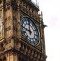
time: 11:46
